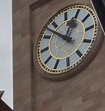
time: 12:52
